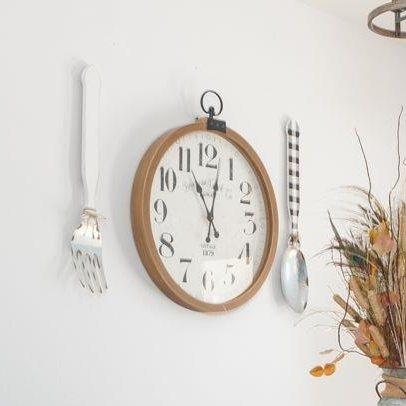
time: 11:02
